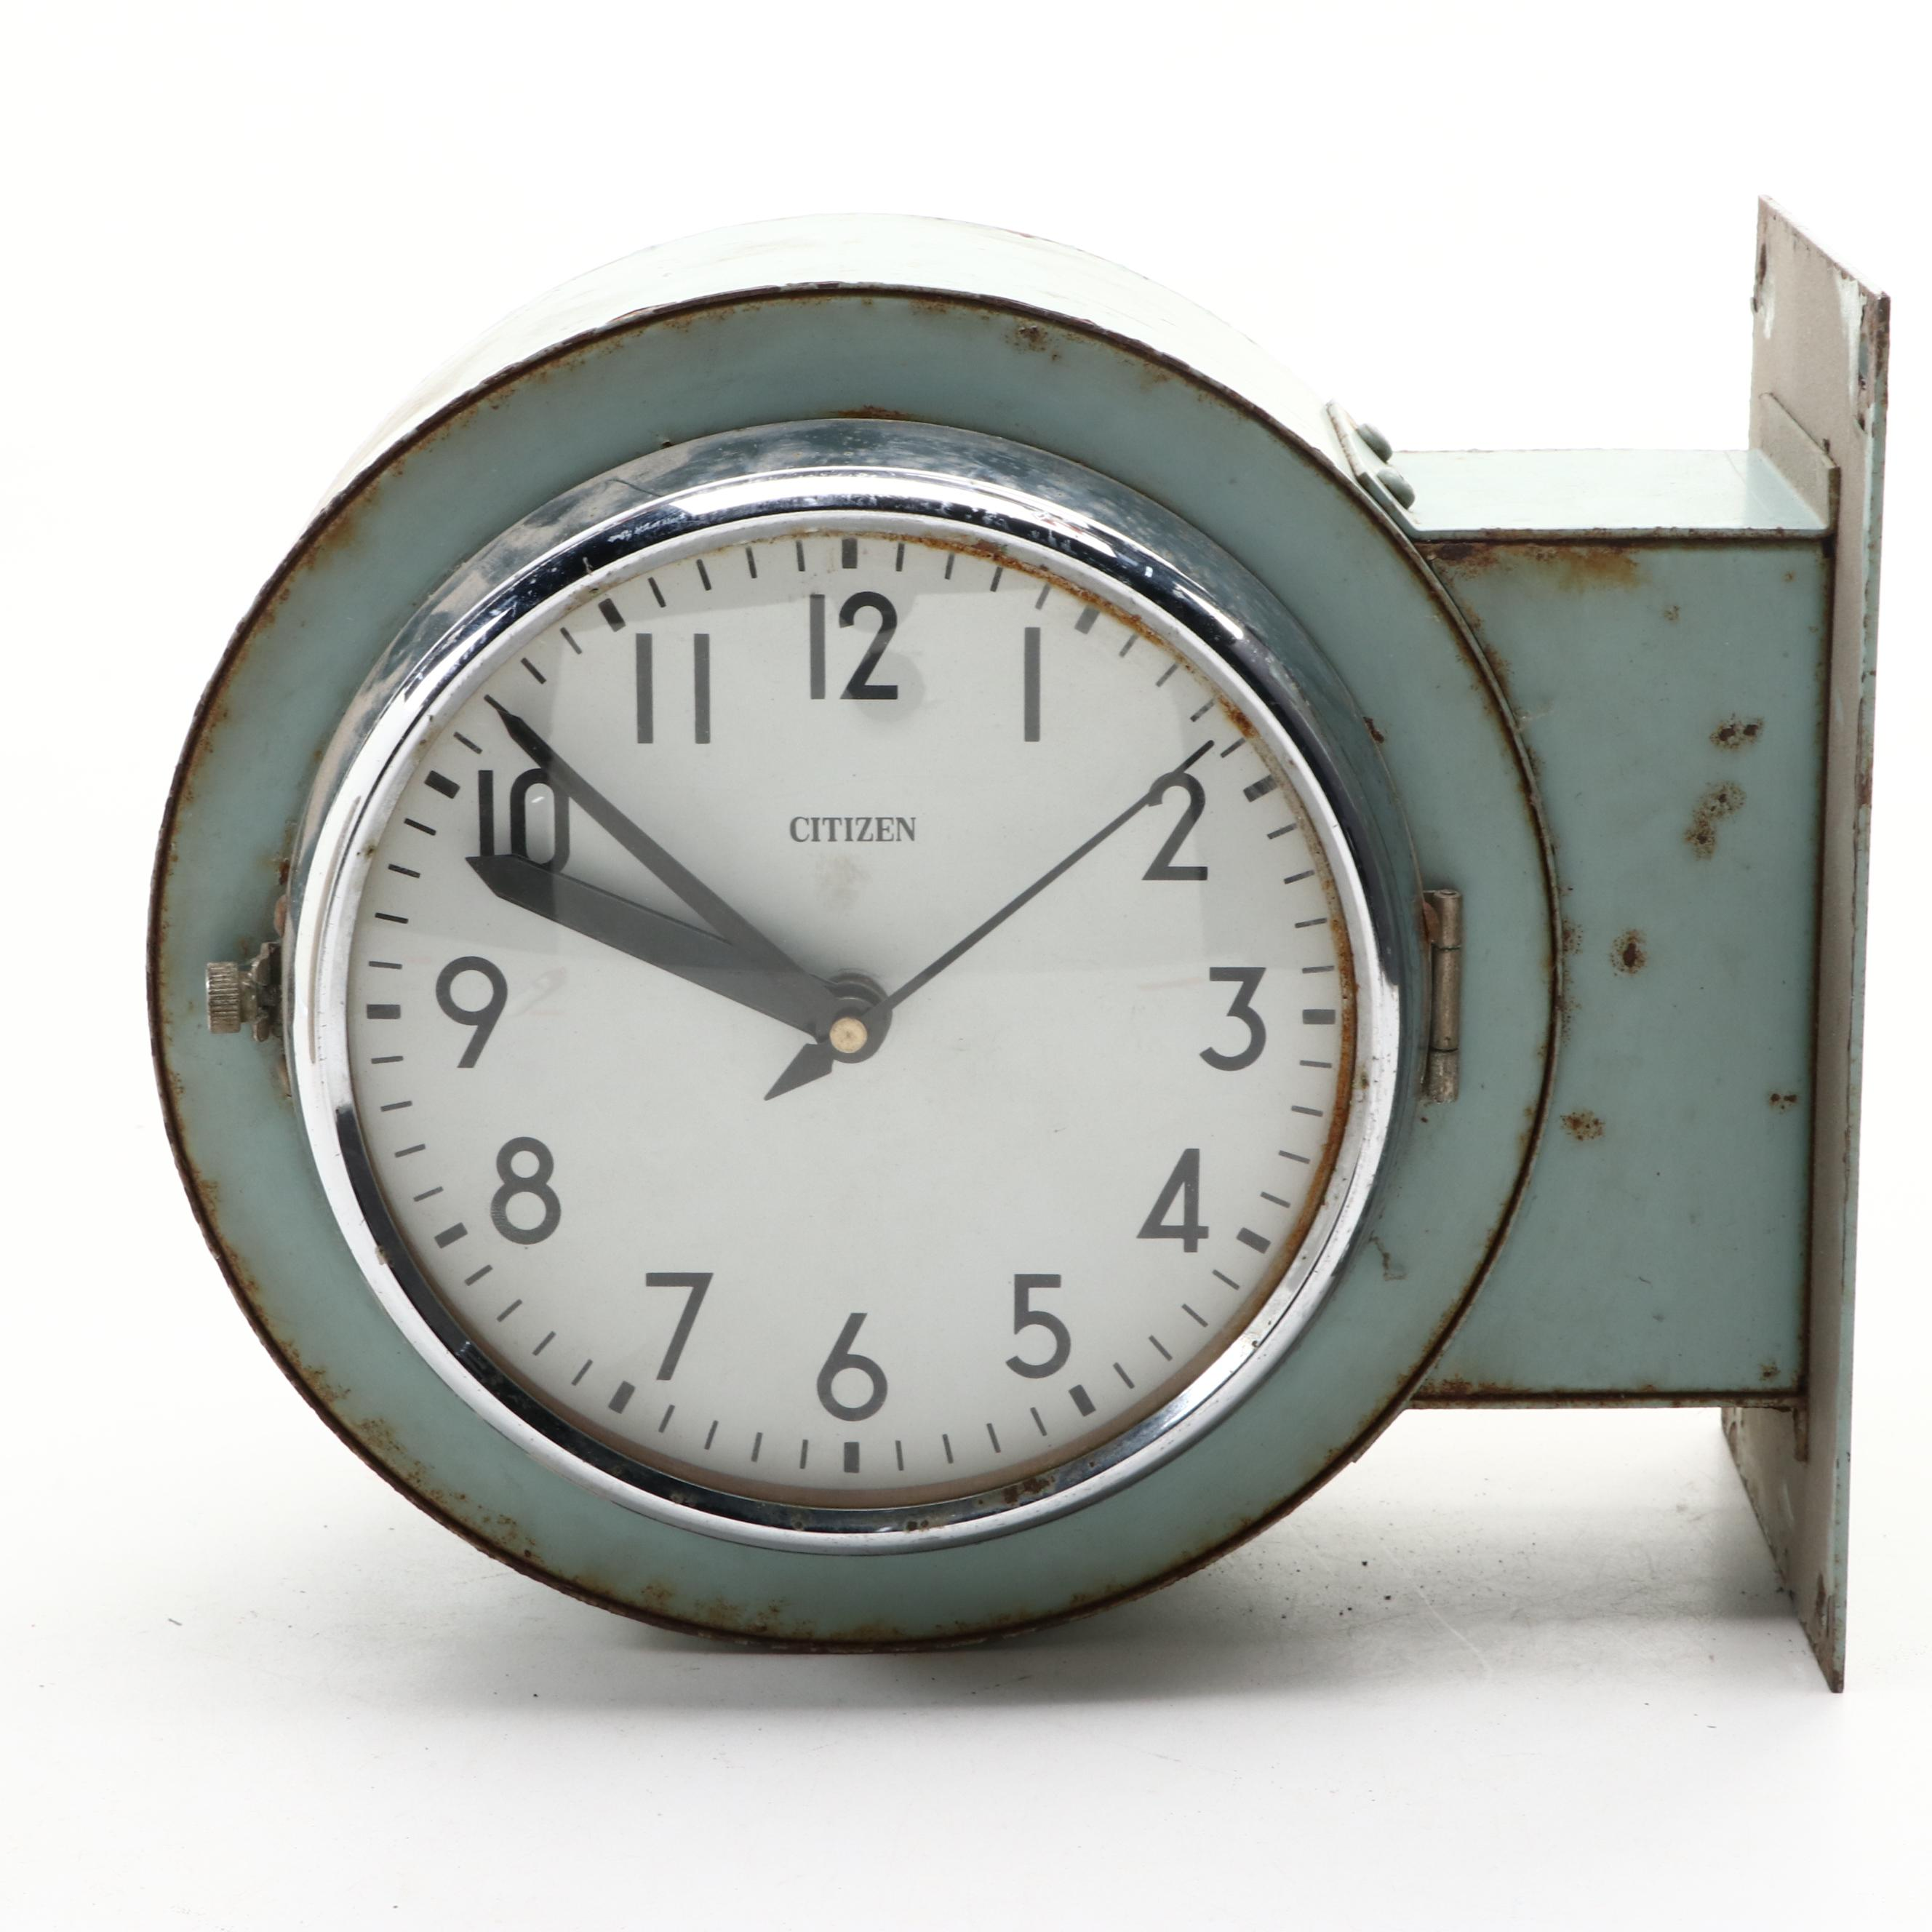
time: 9:51
